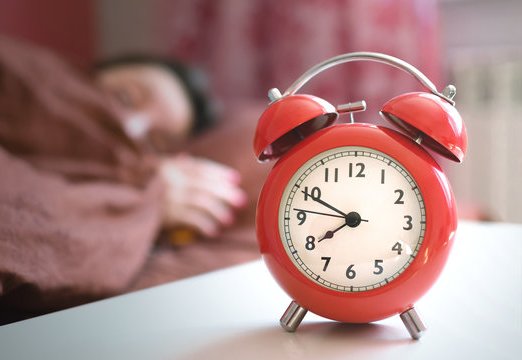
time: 7:49
